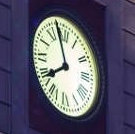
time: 7:57
